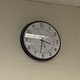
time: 3:31
